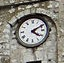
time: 4:10
